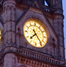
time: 7:24
